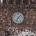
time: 7:07
